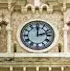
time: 12:12
